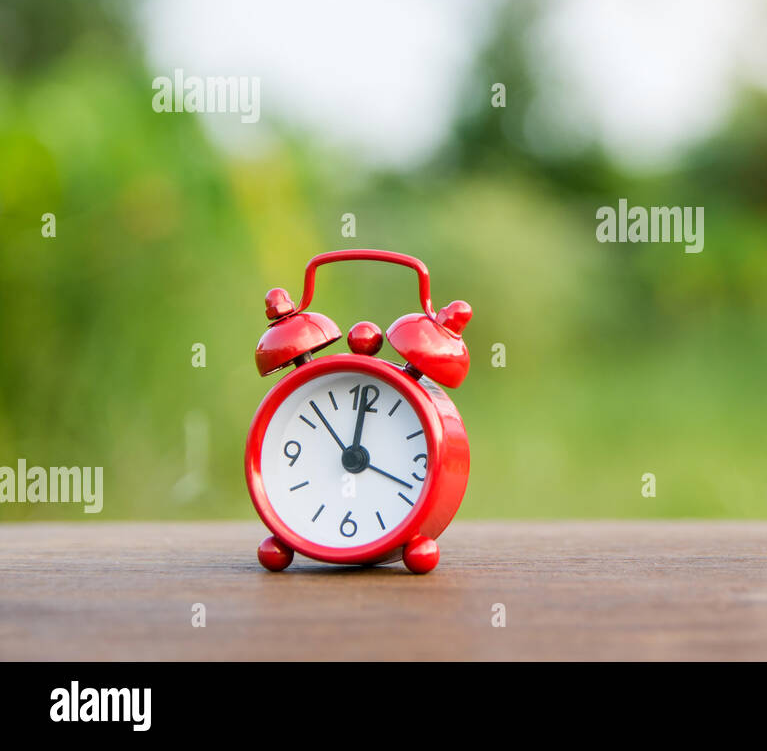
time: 12:00
